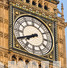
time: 7:40
